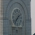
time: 1:37
